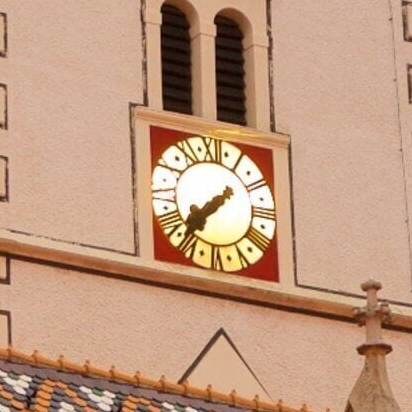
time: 7:37
